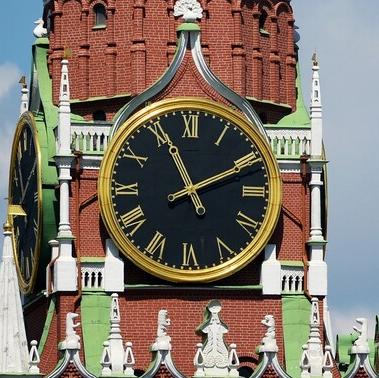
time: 11:10
